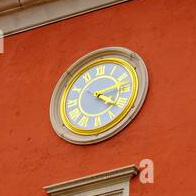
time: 4:12
